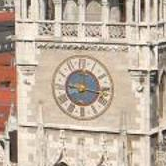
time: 9:16
